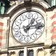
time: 1:13
